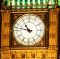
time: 10:47
